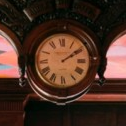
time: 2:09
